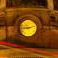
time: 9:12
